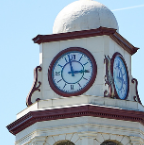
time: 2:57
